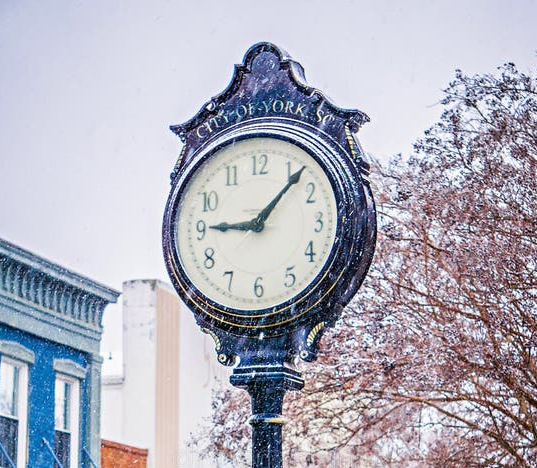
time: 9:07
